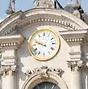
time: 9:48
